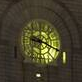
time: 9:18
